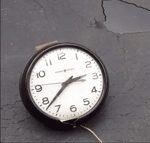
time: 2:38
